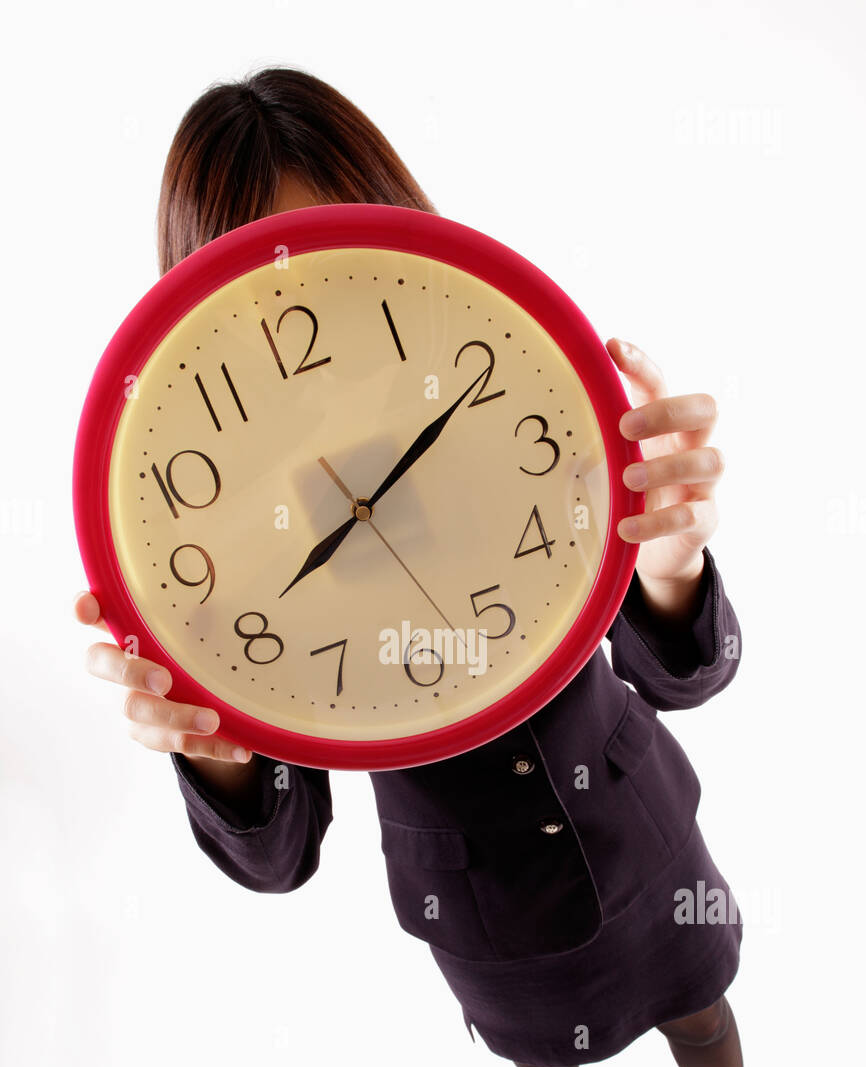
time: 8:10
